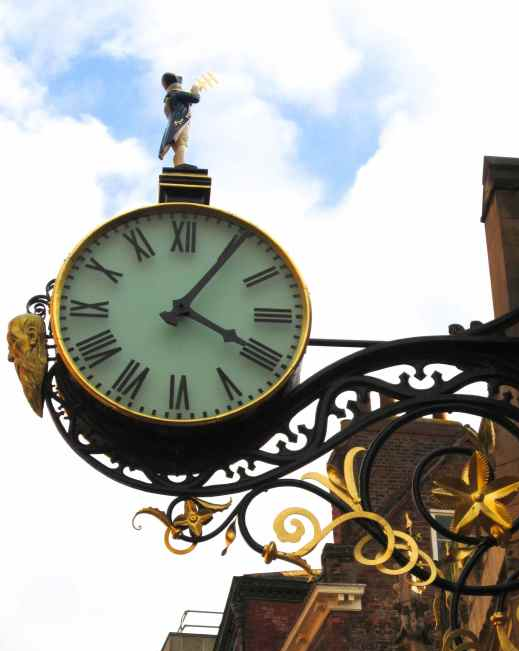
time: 4:05
